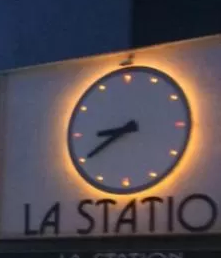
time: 8:39
